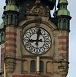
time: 9:01
